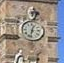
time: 12:32
